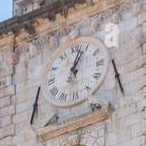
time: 1:02
